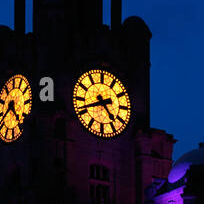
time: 4:41
